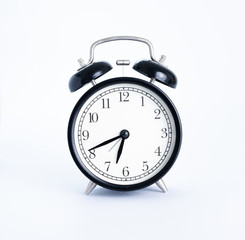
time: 6:41
